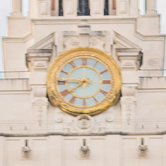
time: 7:45
